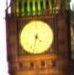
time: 4:32
